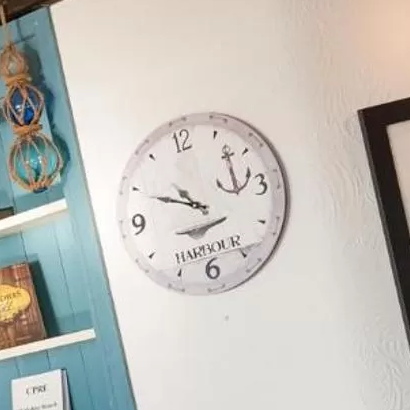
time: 10:49
